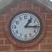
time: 1:16
